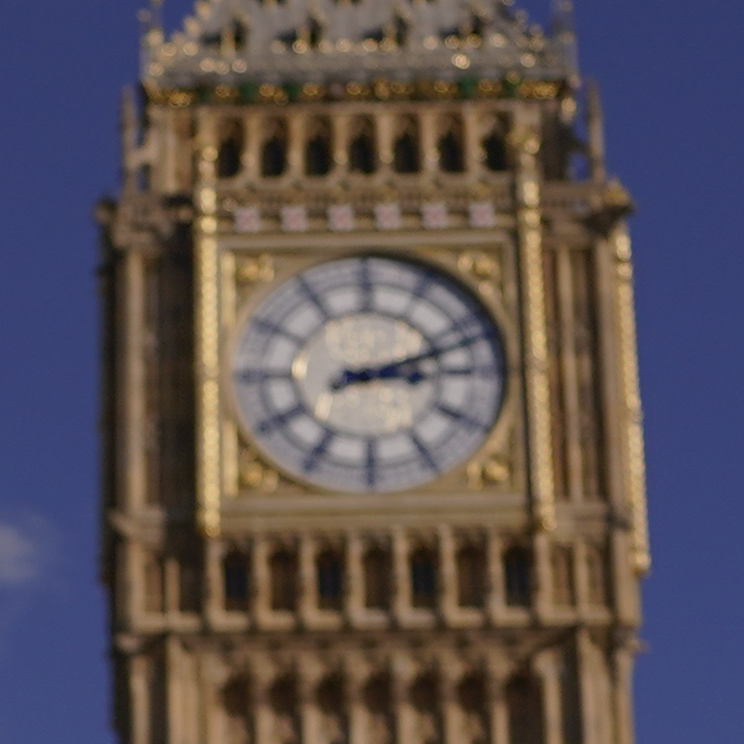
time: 3:11
